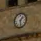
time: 1:28
